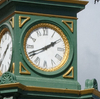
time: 1:41
